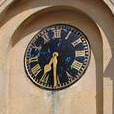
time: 7:30
